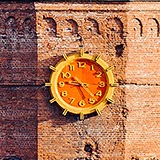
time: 9:22
